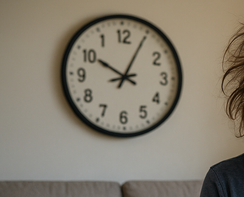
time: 10:04
